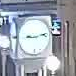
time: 9:12
